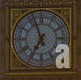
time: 6:56
